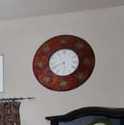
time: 5:40
